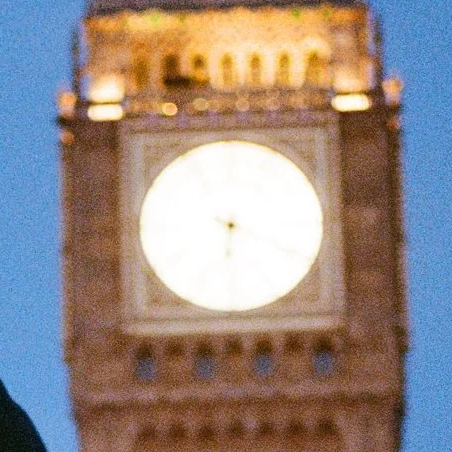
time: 6:18
